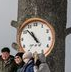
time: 10:52
